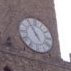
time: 4:55
